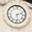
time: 2:28
